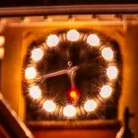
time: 5:43
